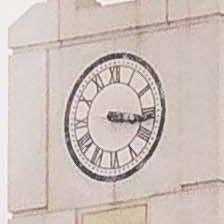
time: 3:16
